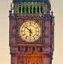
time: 5:51
